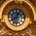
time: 12:40
